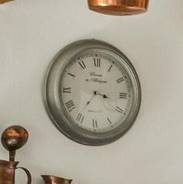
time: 3:35
